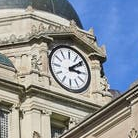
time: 3:08
